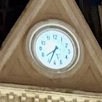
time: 7:33
